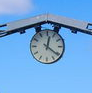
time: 12:21
